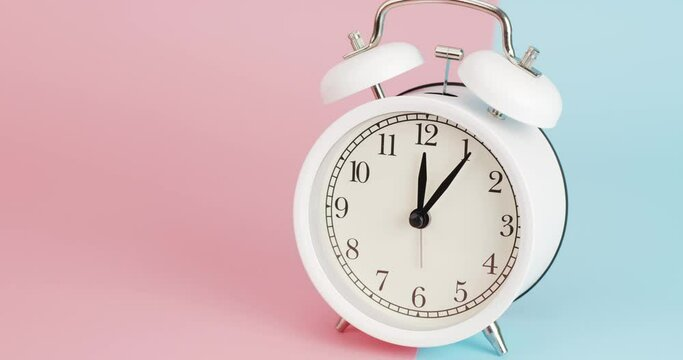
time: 12:05
